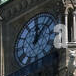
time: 12:07
